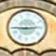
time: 2:44
